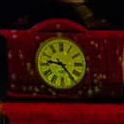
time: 9:23
